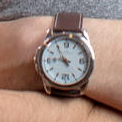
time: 10:46
